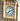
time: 7:11
